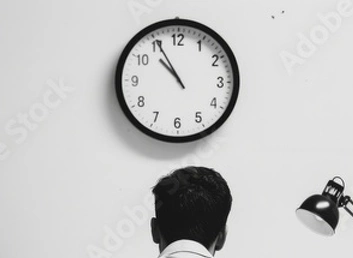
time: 10:55
